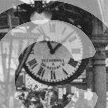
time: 11:07
